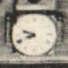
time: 9:41
